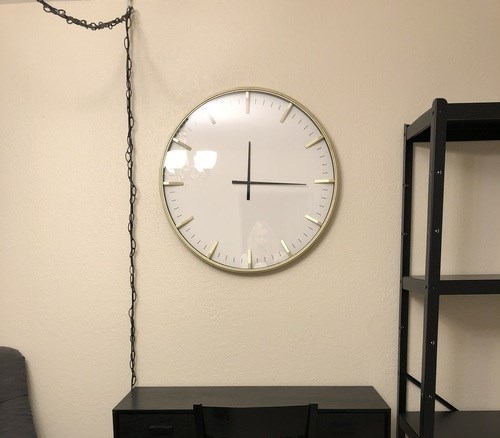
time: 12:15
